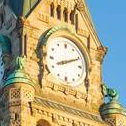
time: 8:10
